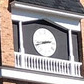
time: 2:42
